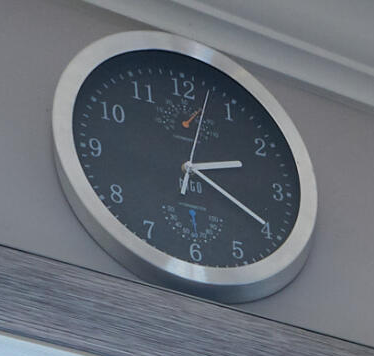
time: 2:19
